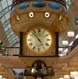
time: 4:52
